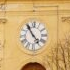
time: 4:54
